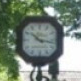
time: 10:17
